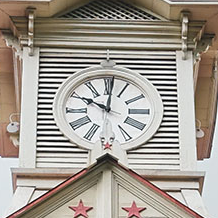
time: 10:00
